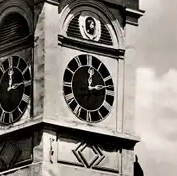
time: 12:13
